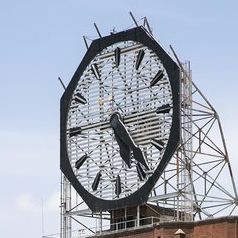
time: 5:24
